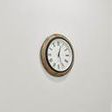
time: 12:26
